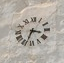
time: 3:33
